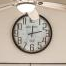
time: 12:12
